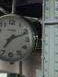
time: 7:11
